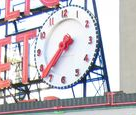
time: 7:37
